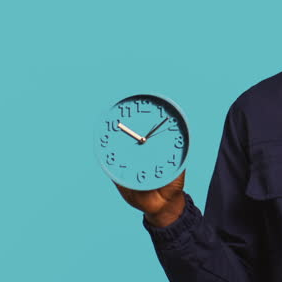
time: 10:07
